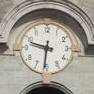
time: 9:31
